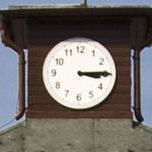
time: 3:14
